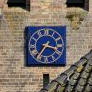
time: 3:36
